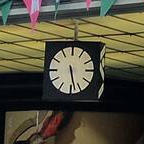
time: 5:27
